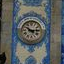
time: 10:14
